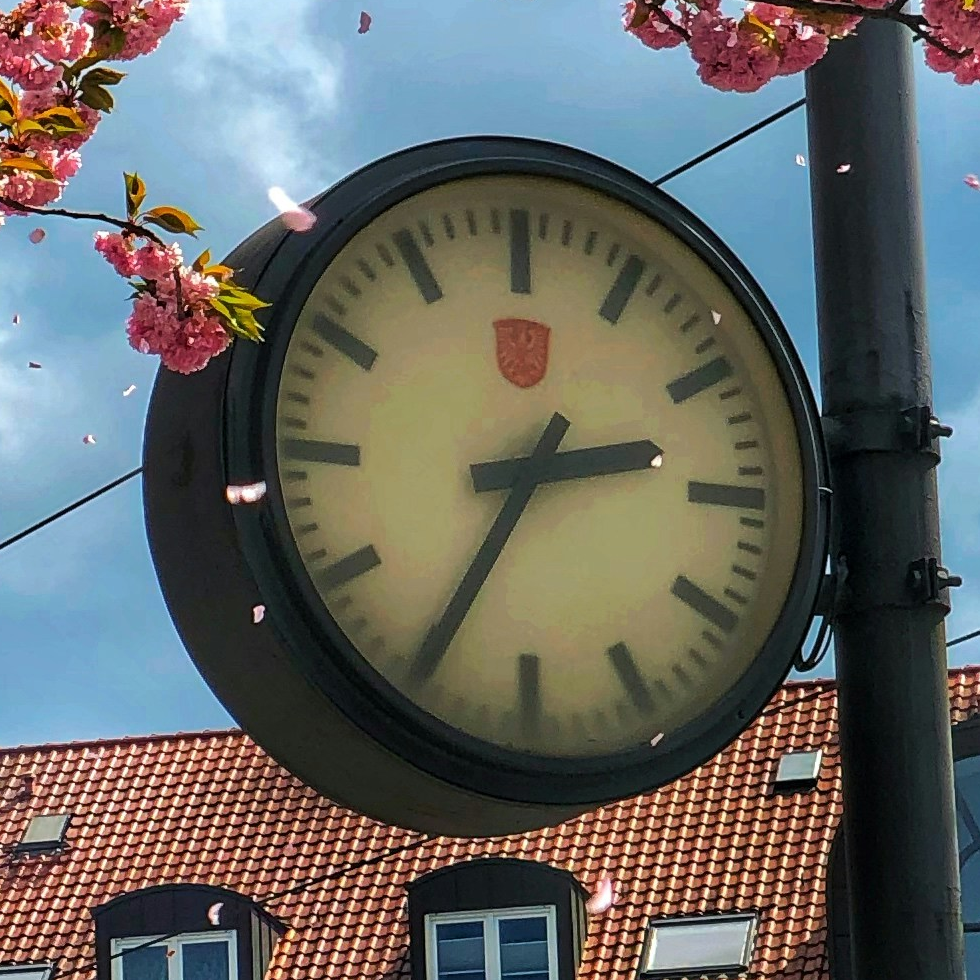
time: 2:35
